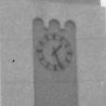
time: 1:26
